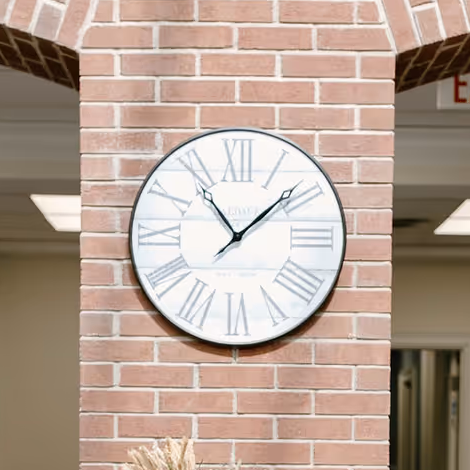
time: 11:07
